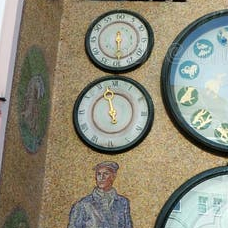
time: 4:57
